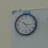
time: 10:15
